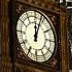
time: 12:03
